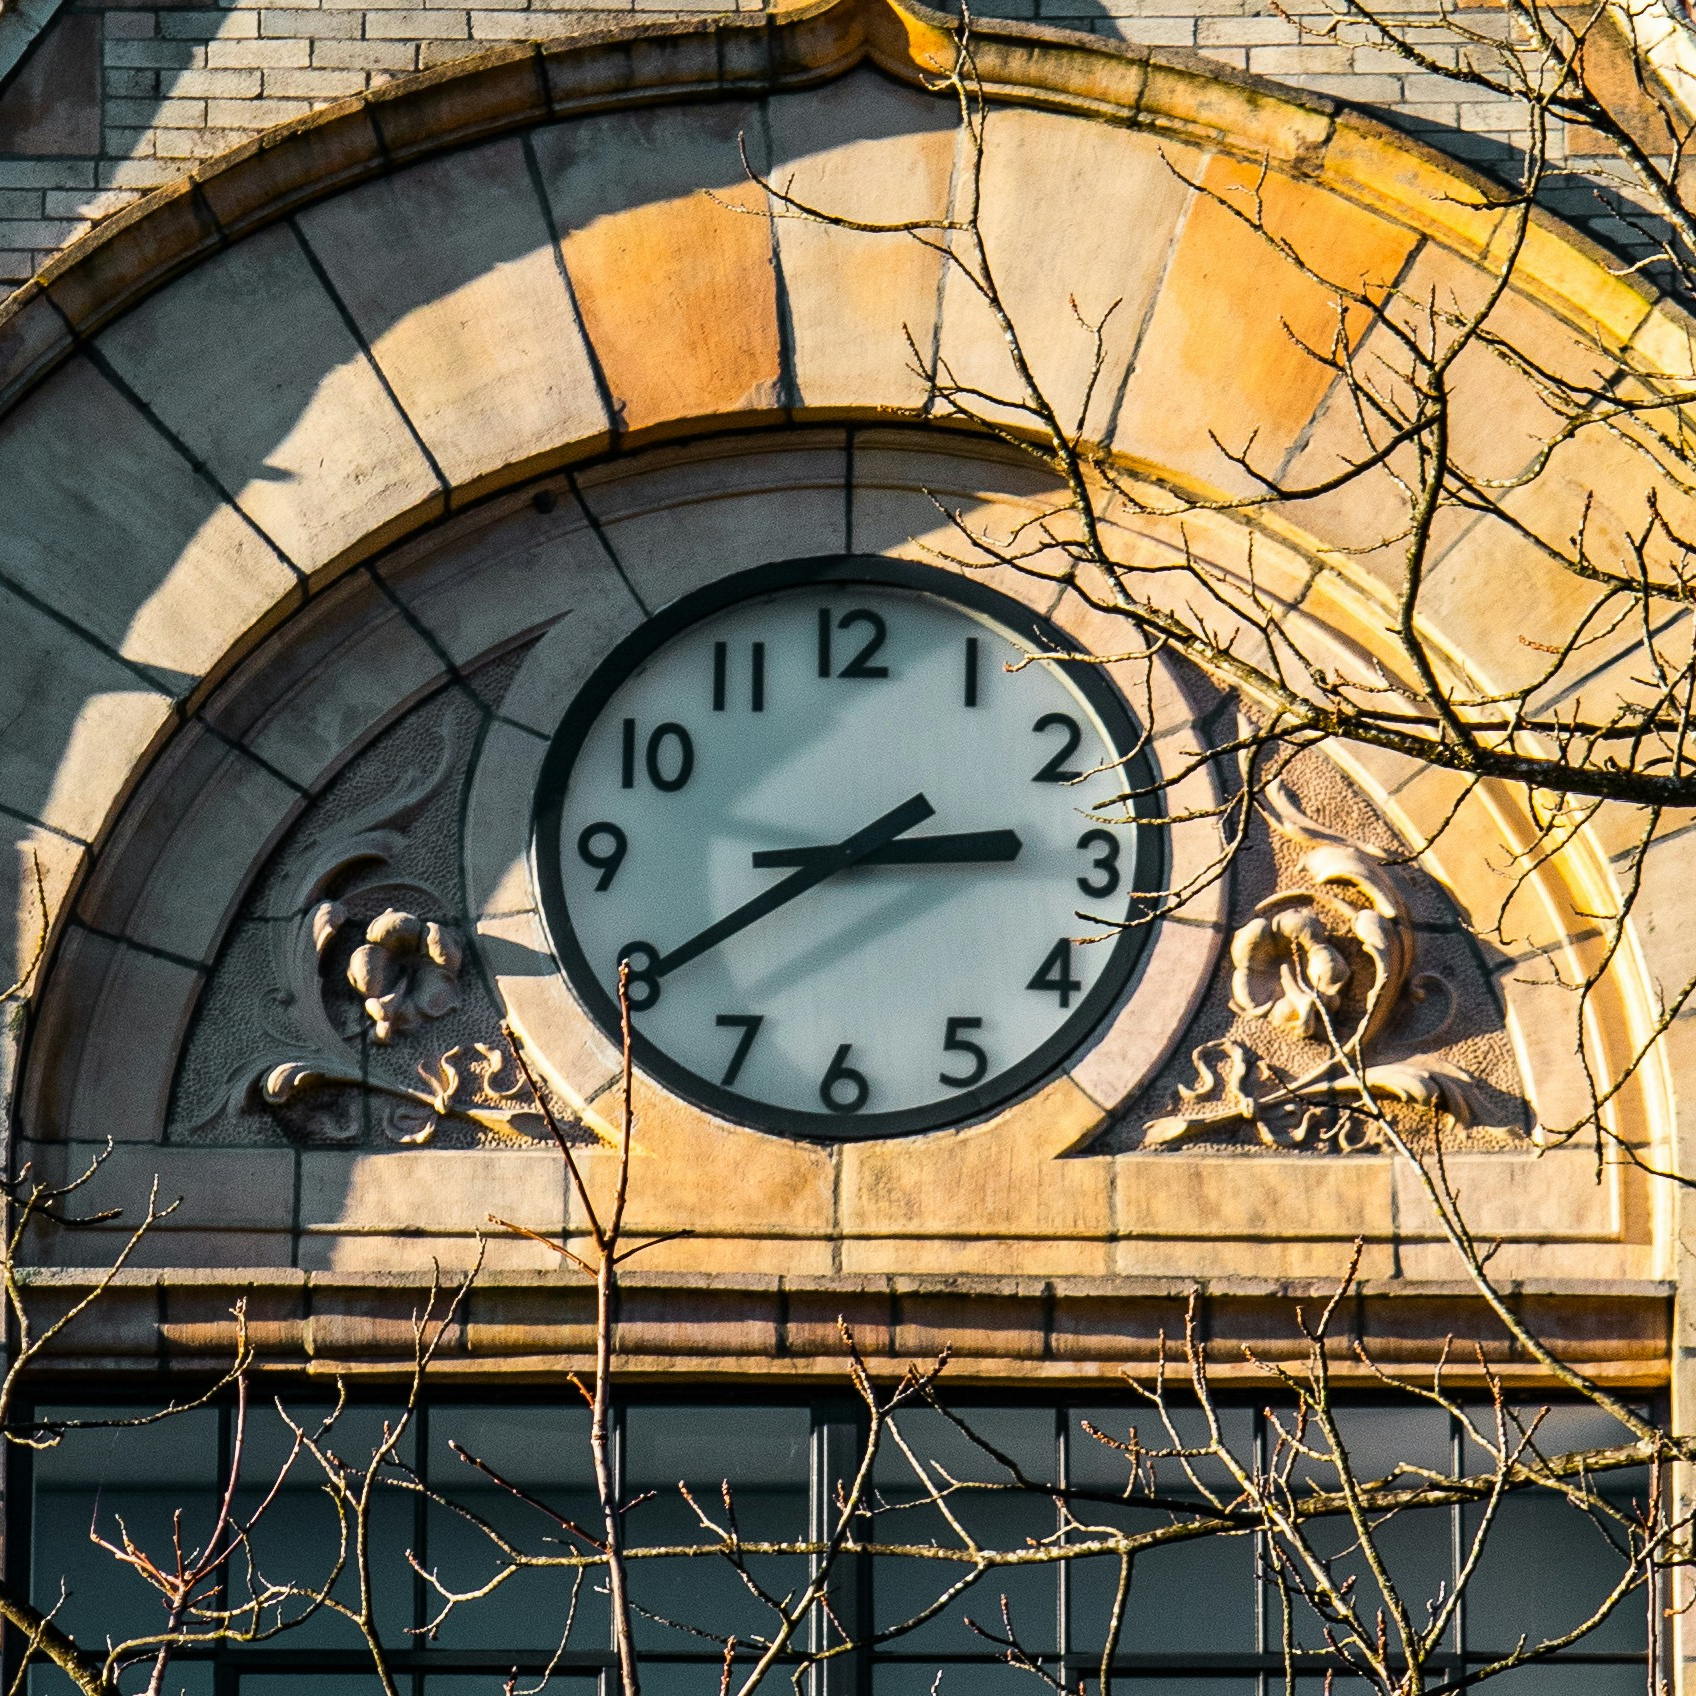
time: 2:39
